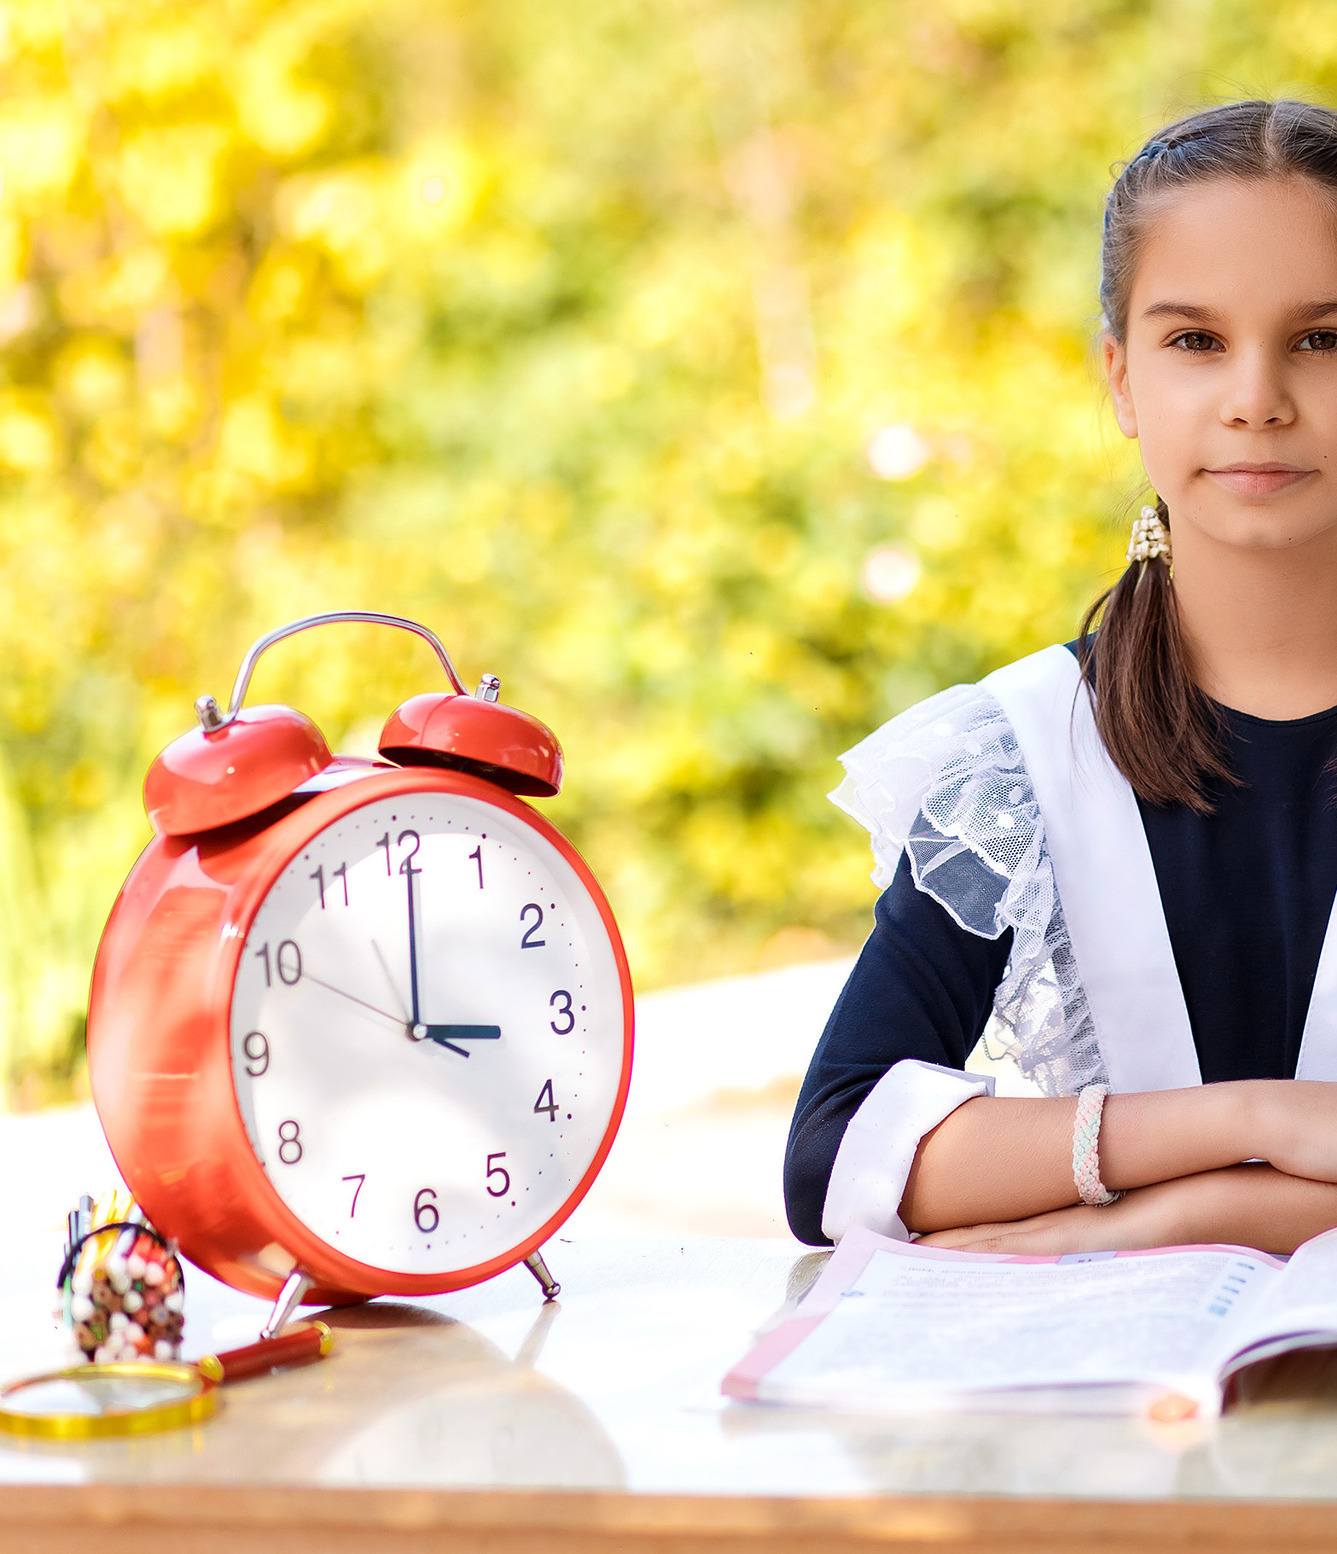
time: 3:00
